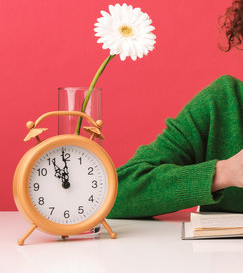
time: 10:59
